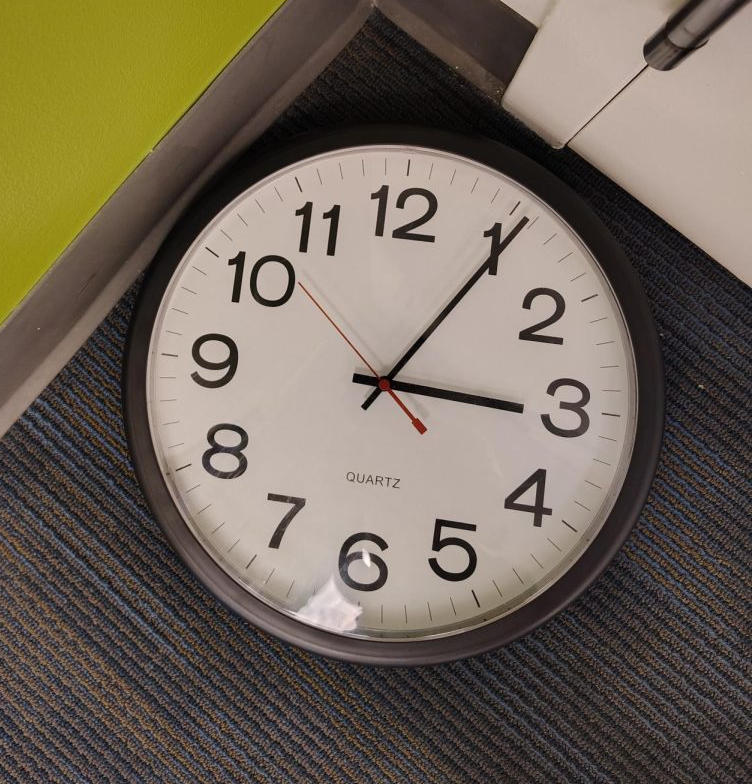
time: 3:05
